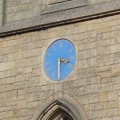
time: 3:29
